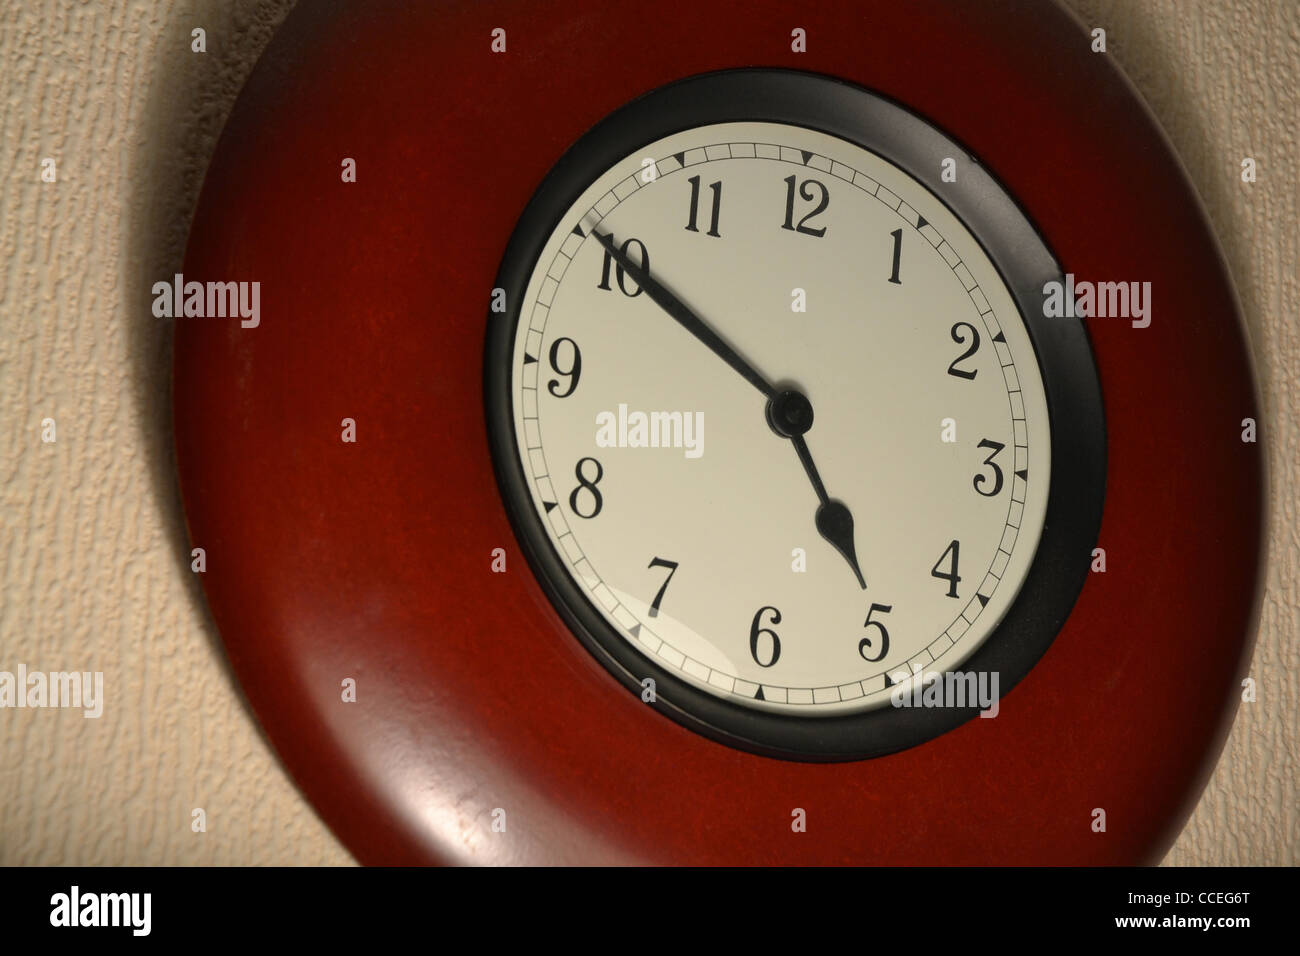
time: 4:50
